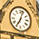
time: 7:03
